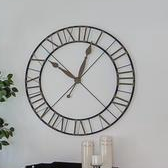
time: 10:03
